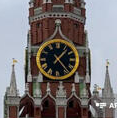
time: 1:23
